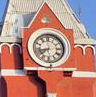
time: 7:42
